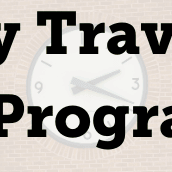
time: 2:19
